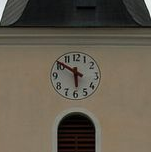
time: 5:50
